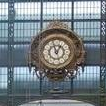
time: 12:57
